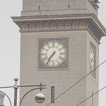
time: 7:36
